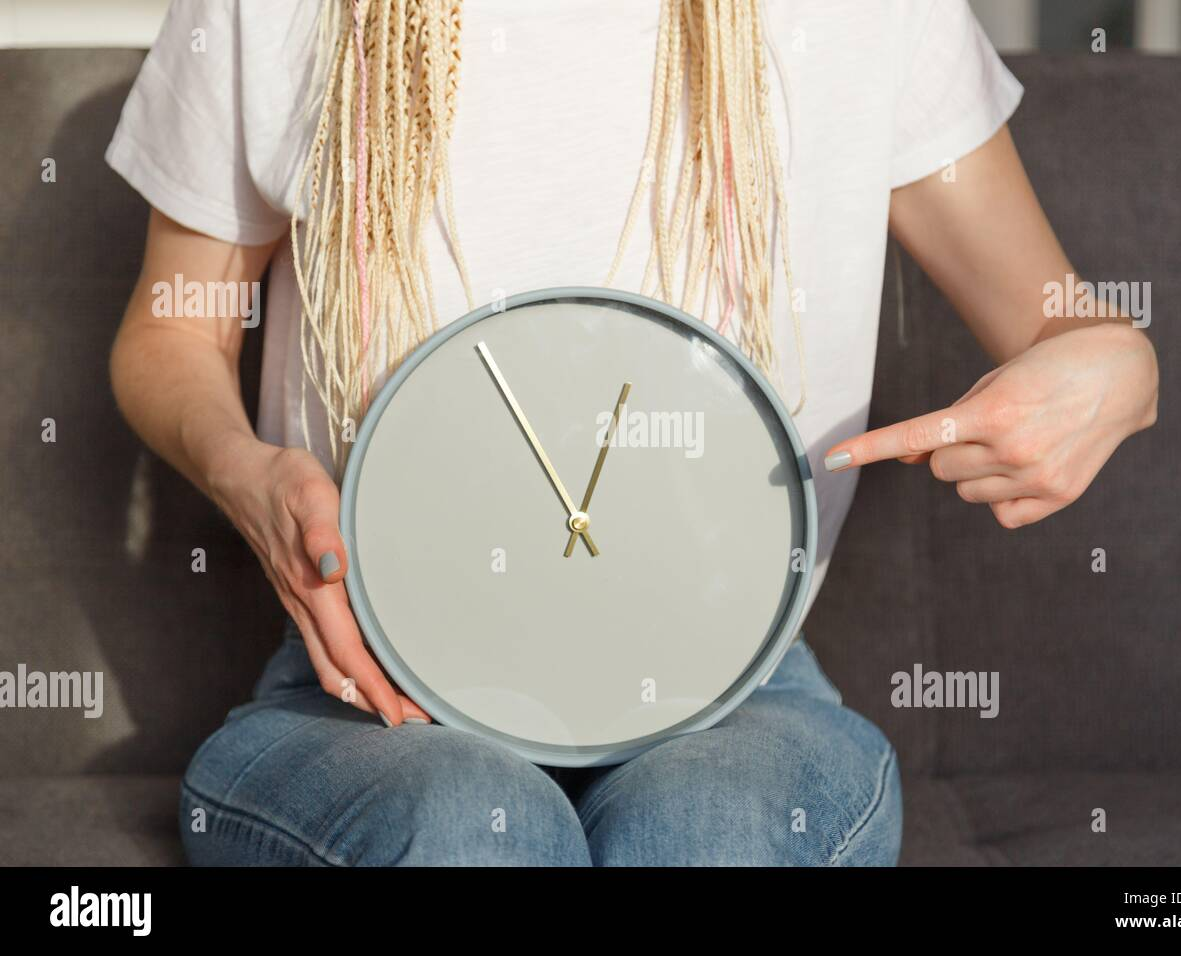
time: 12:54
